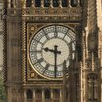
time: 9:30
